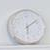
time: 6:09
